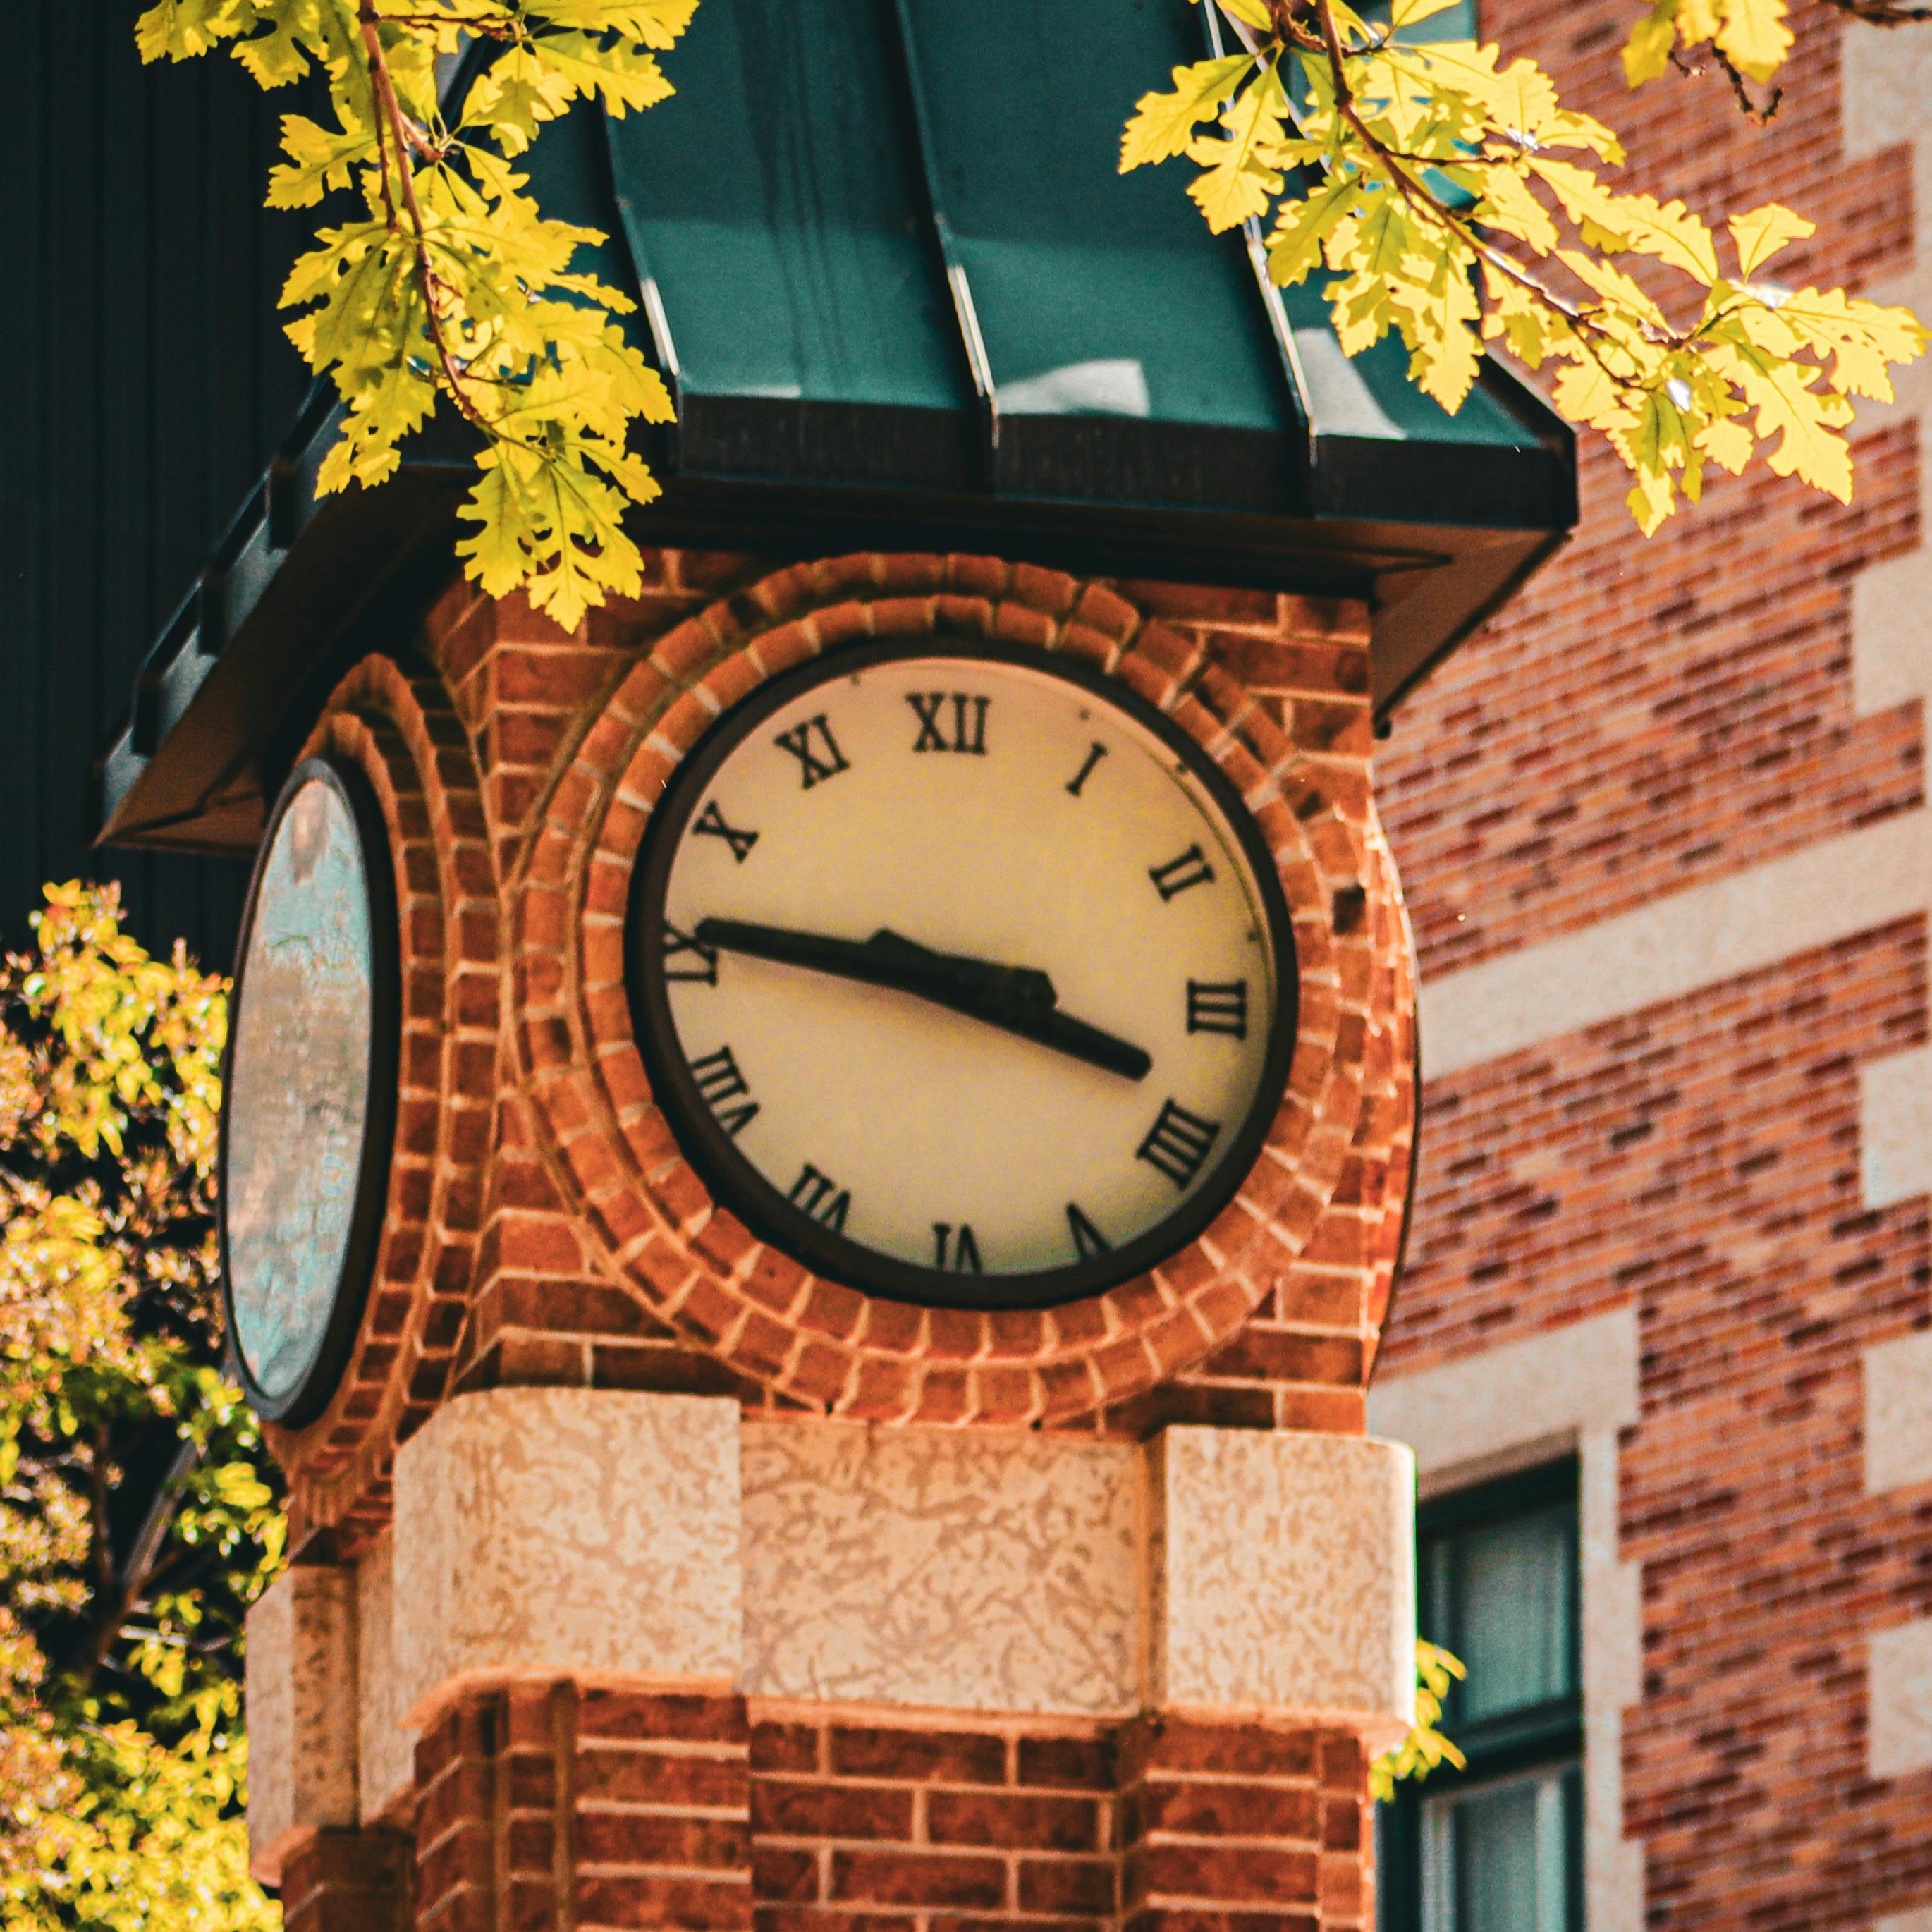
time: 3:46
